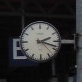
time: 2:18
